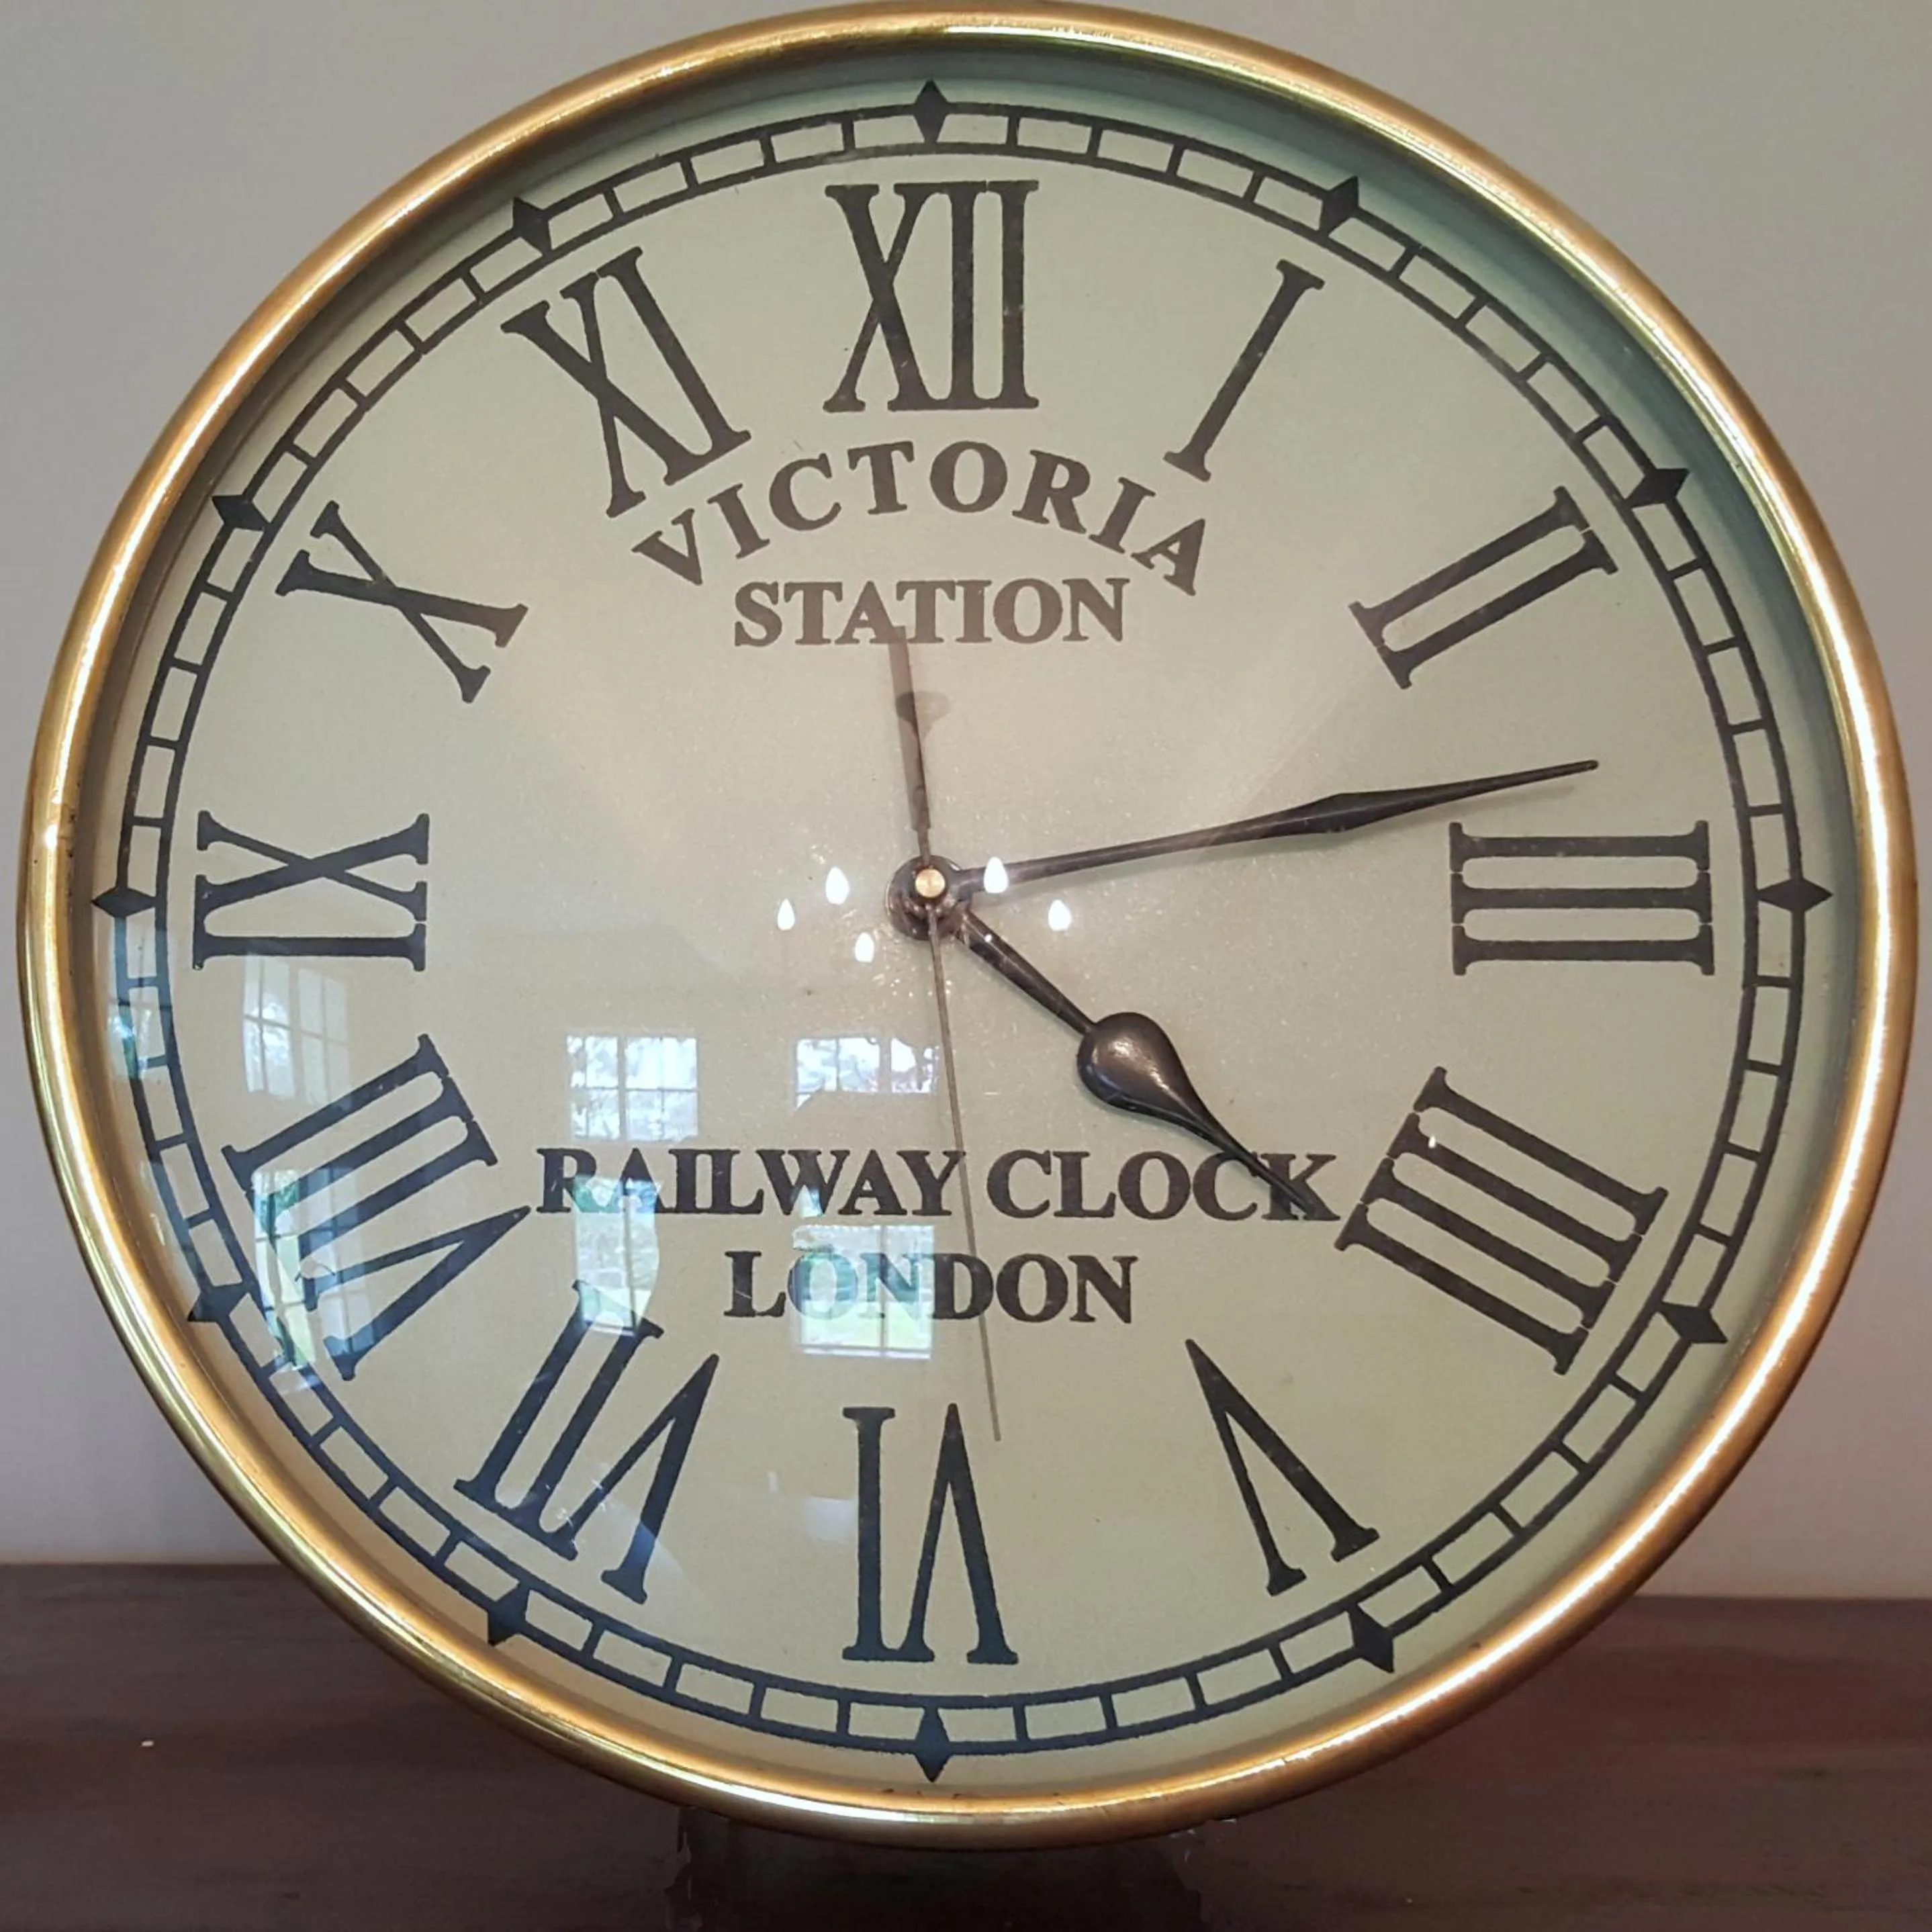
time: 4:12
